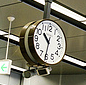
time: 10:31
